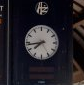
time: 7:43
